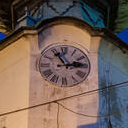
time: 11:13
